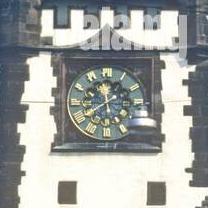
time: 11:39
